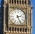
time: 2:26
